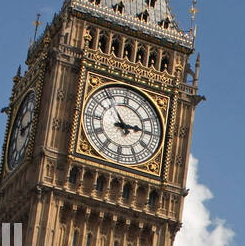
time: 2:54
